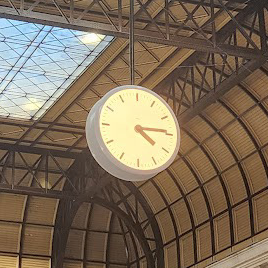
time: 4:14
